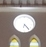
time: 4:23
